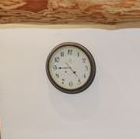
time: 4:44
